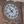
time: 10:39
